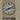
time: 8:12
